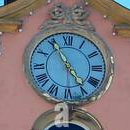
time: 4:55
